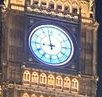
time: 8:58
